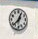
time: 12:37
